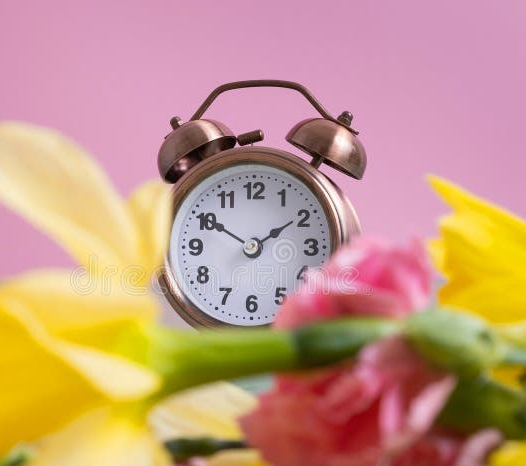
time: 1:50
